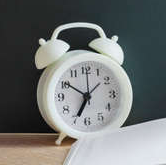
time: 6:50
